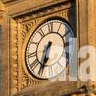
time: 6:34
